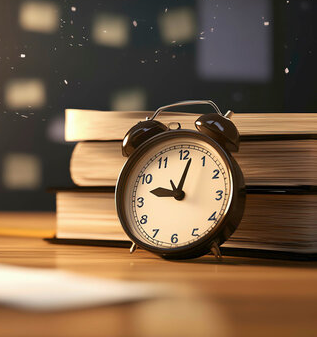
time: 9:02
